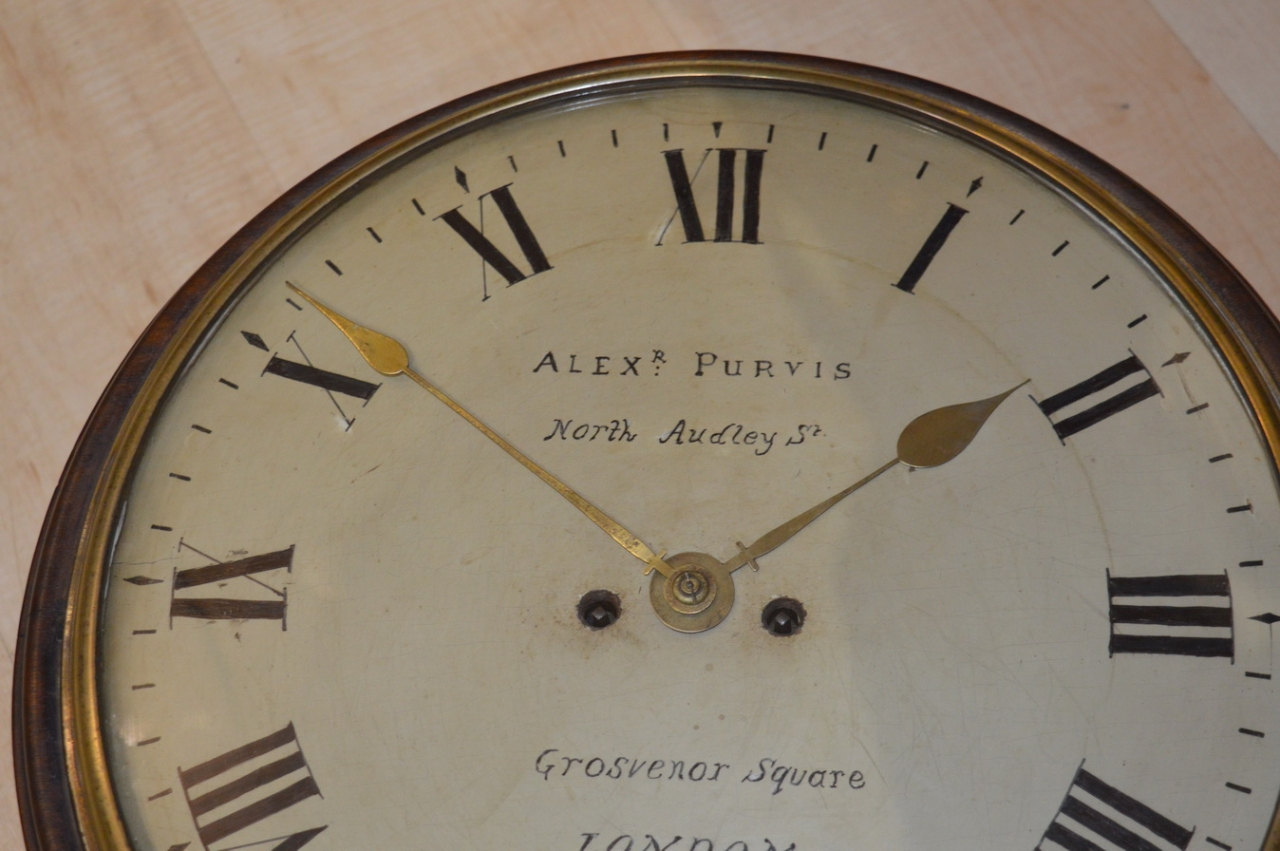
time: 1:50
